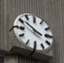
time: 3:51
